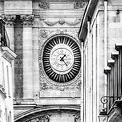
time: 1:22
